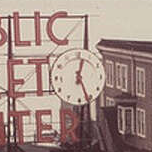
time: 12:26
